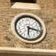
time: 6:17
